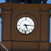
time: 5:14
